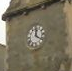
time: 12:20
